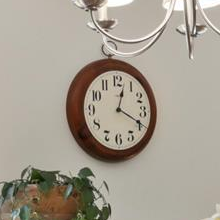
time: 12:19
